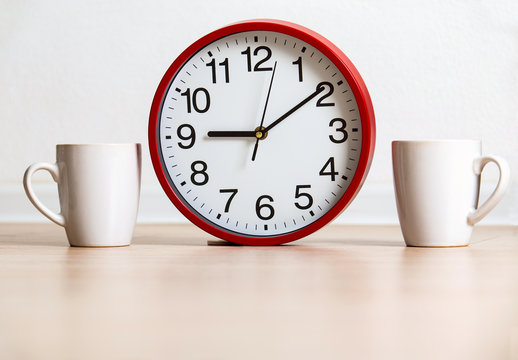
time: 9:09
